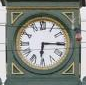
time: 6:15
